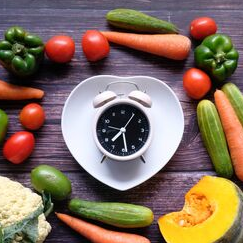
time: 7:28
